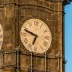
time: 6:47
